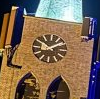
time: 1:50
